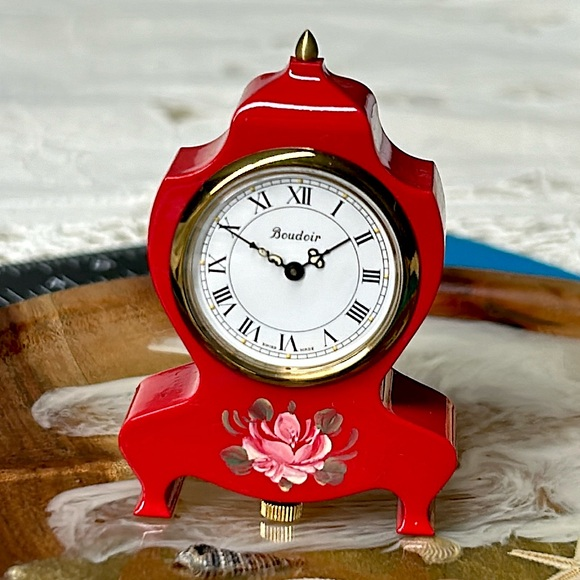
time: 1:50
